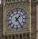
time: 1:24
